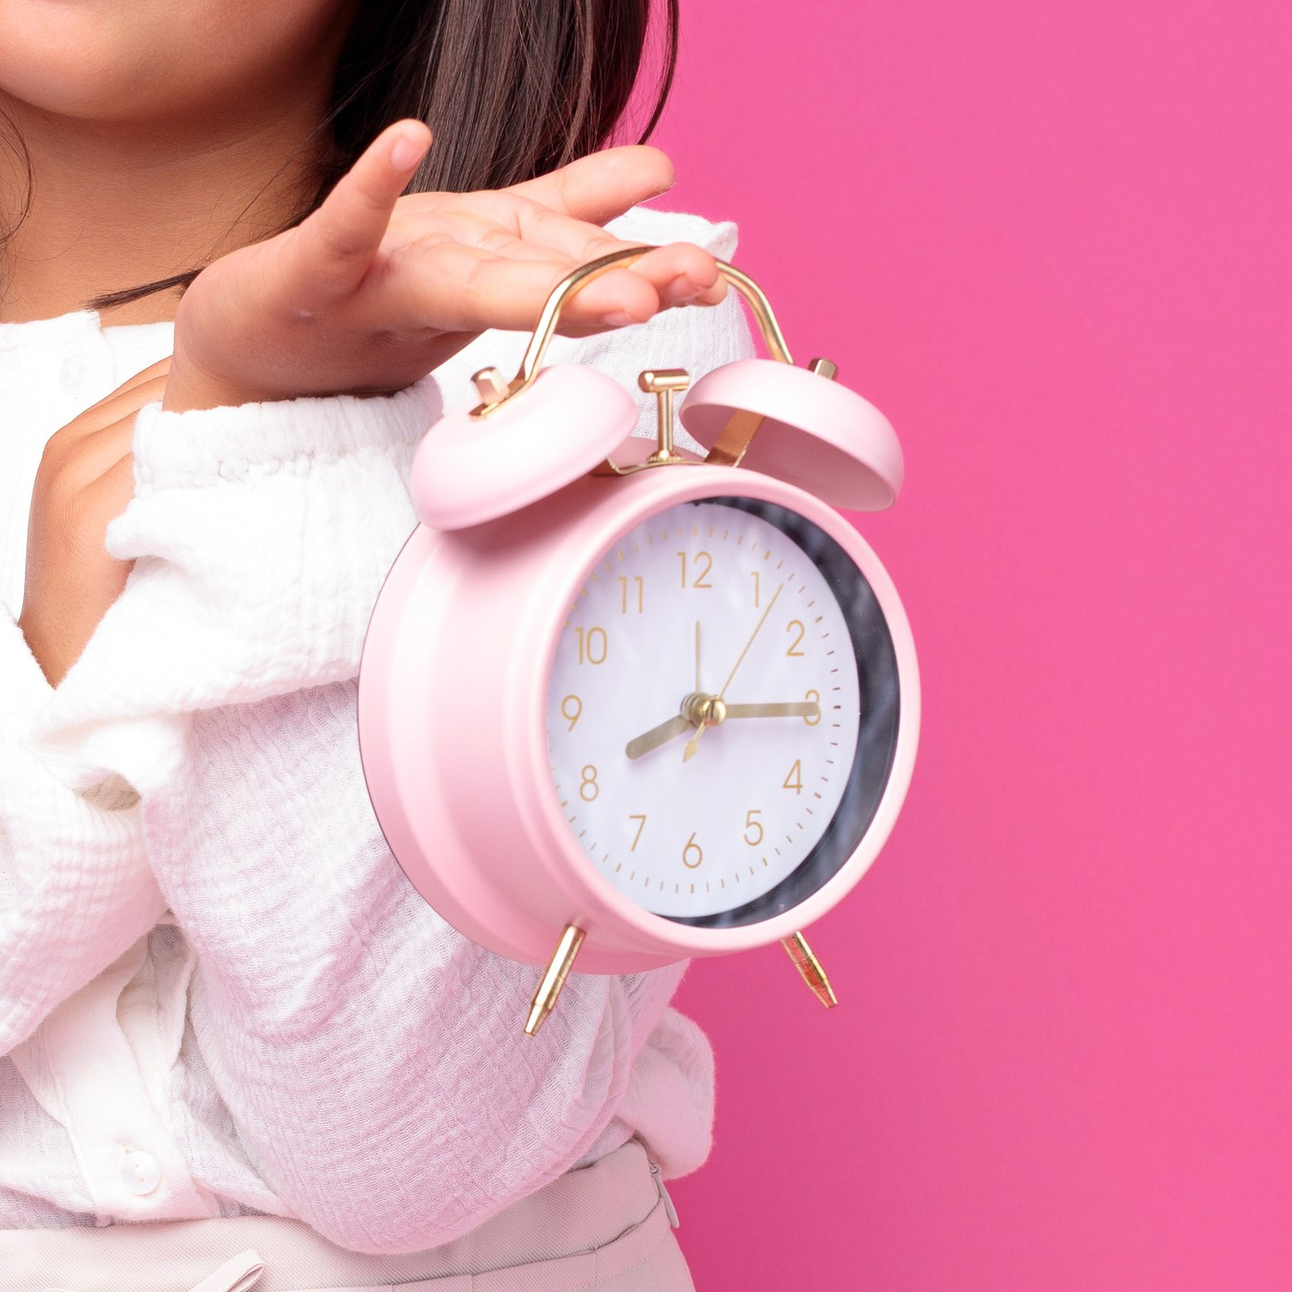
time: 8:15
